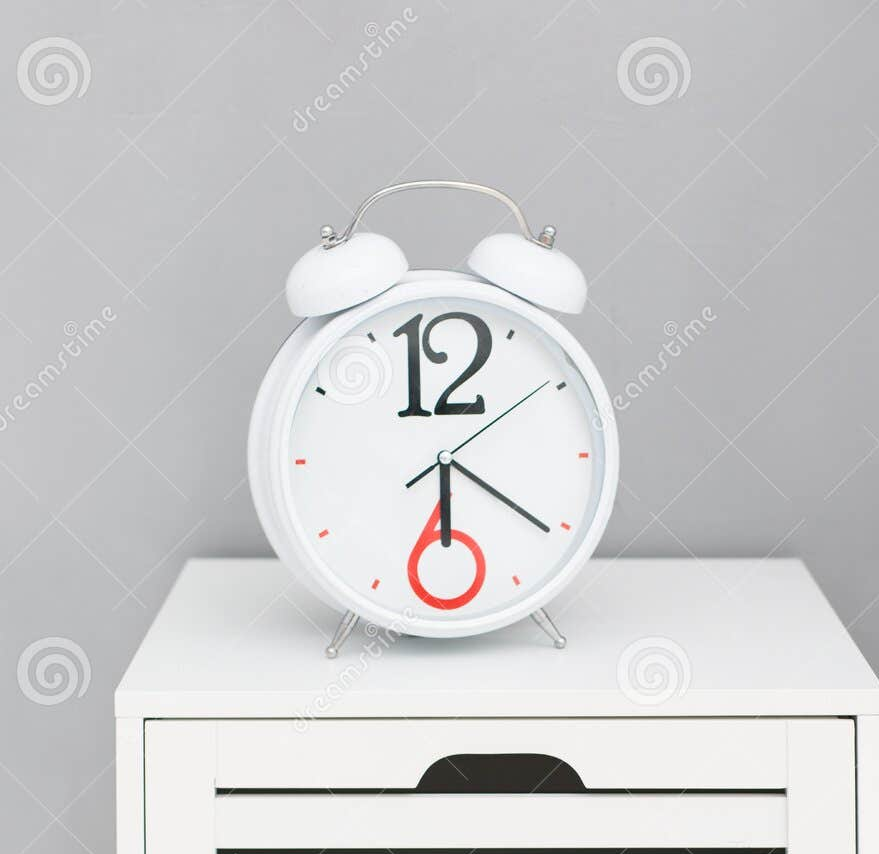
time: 6:20
